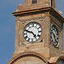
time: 4:48
